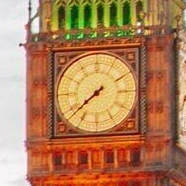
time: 7:38
